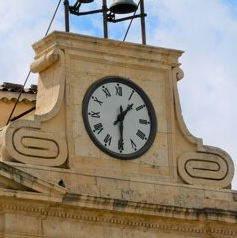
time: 1:29
